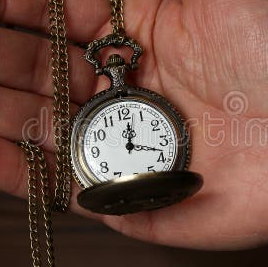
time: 12:17
